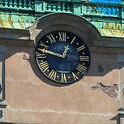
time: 12:47
